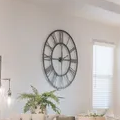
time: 12:14
